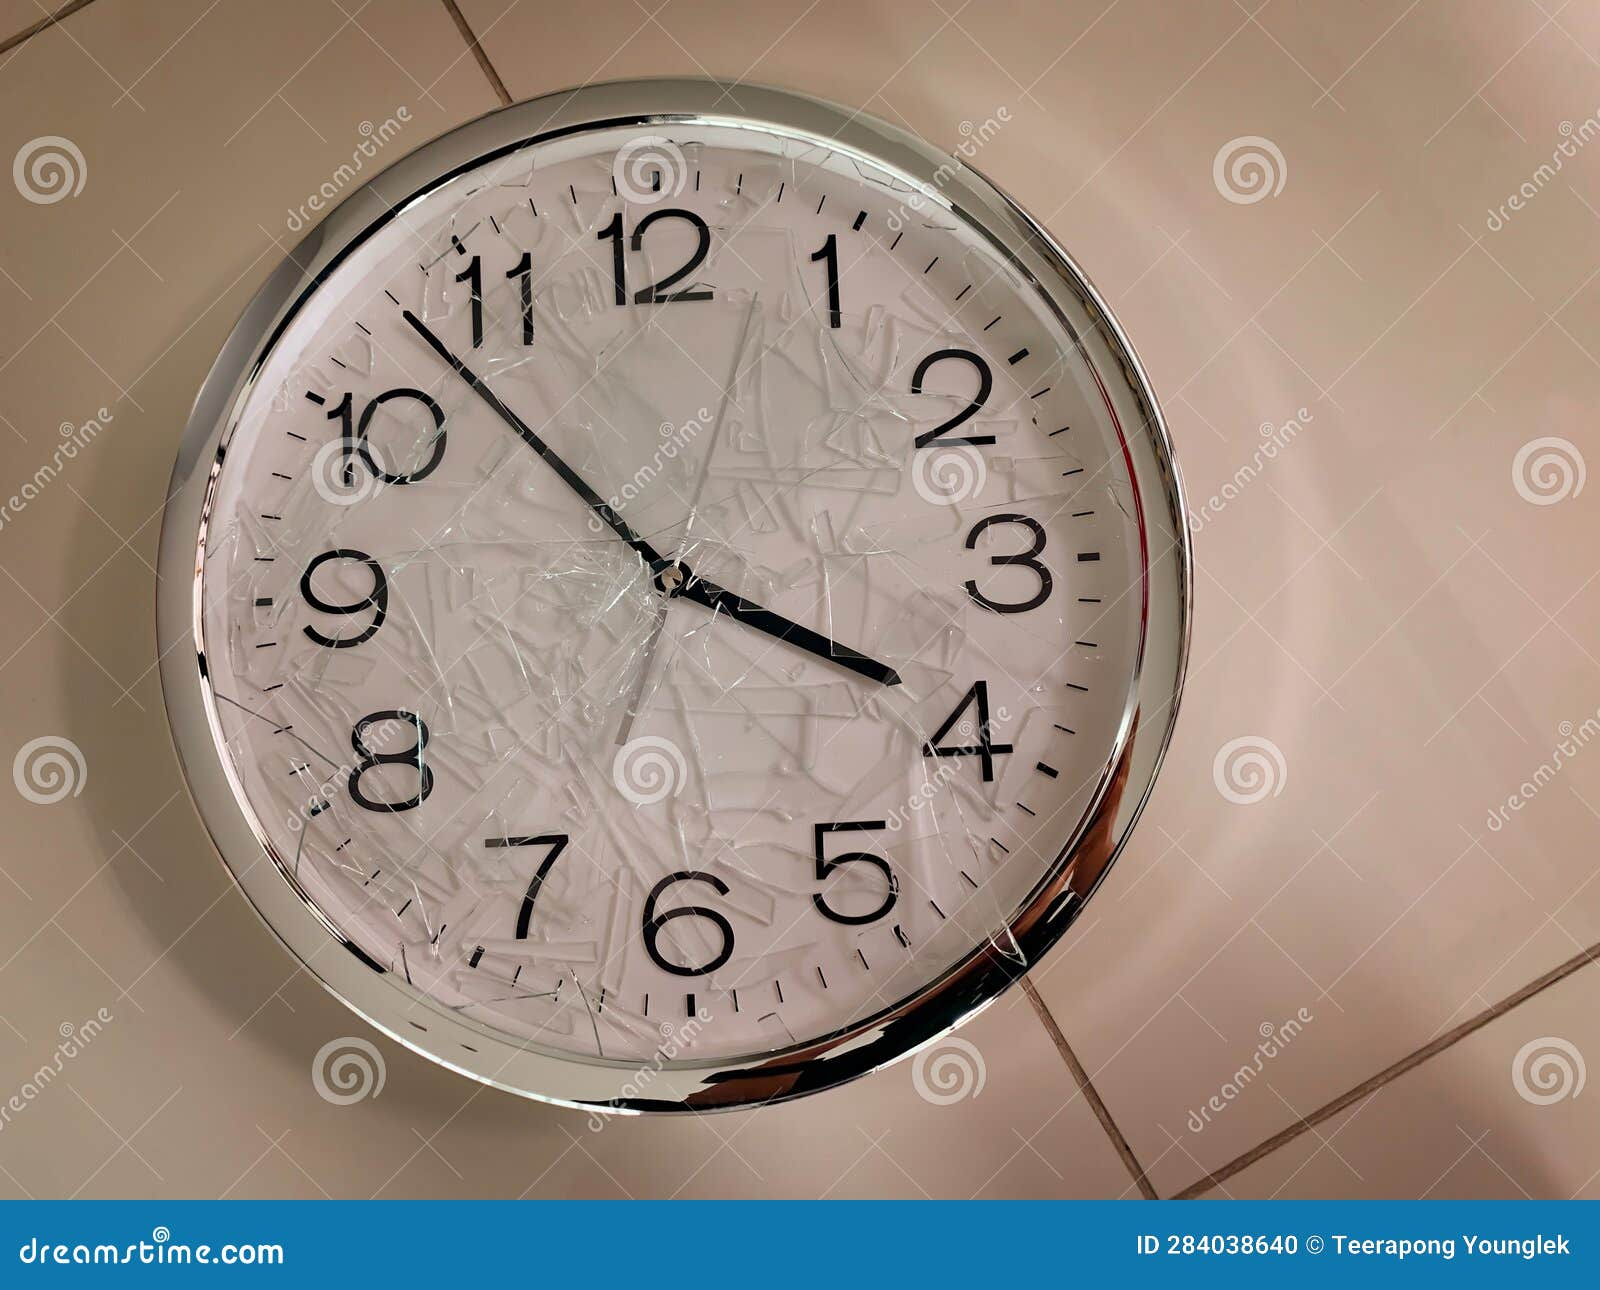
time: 3:52
